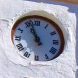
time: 10:56
